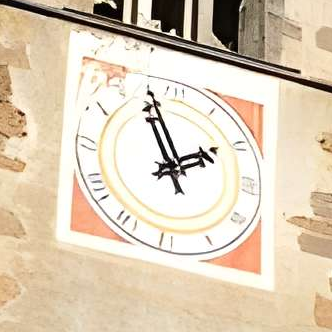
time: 1:56
